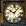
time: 10:07
